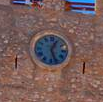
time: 12:26
